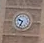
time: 9:33
